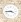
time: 3:44
